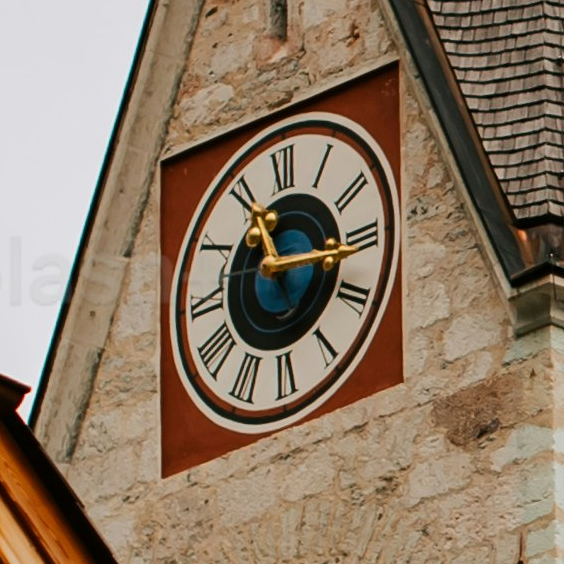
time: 11:16
